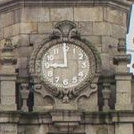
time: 8:59
